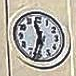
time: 11:33
